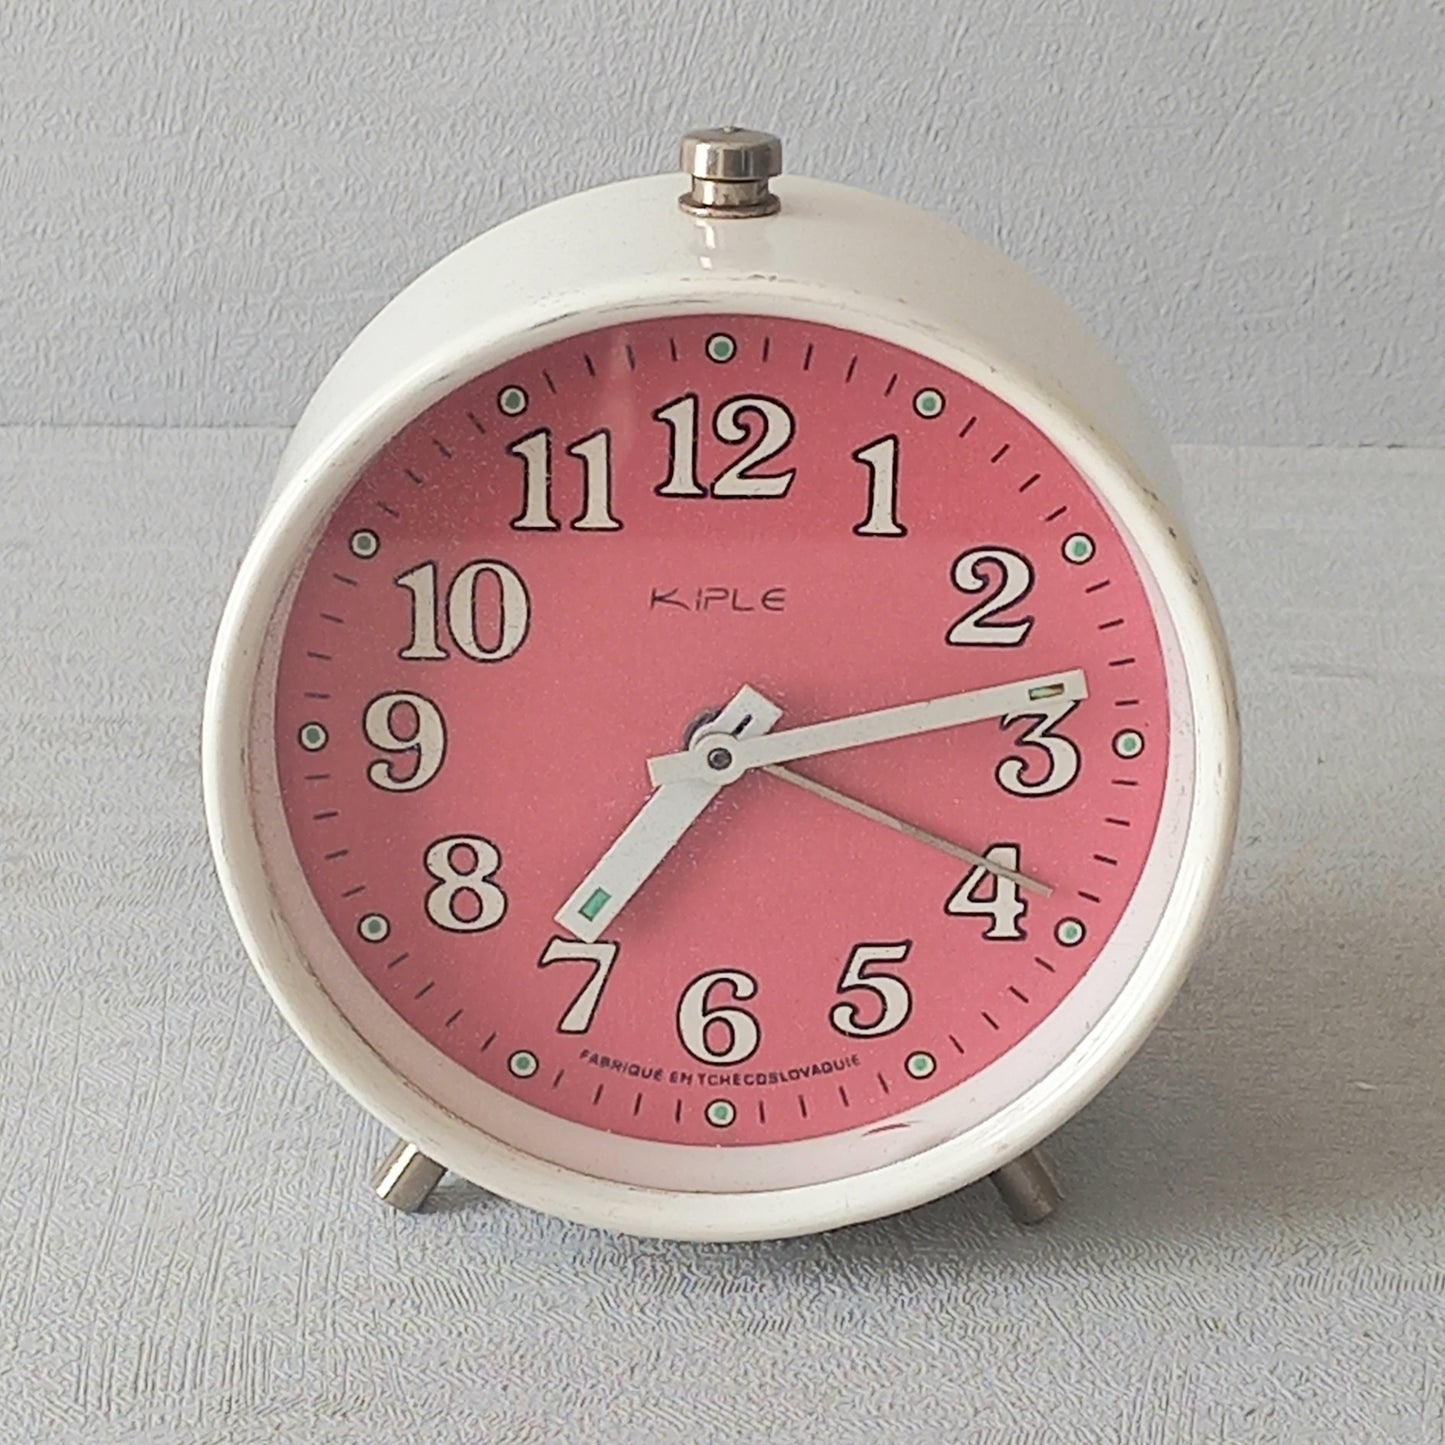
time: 7:13
